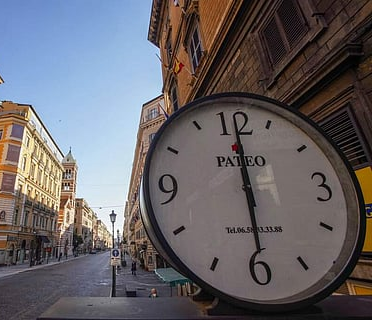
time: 6:00
